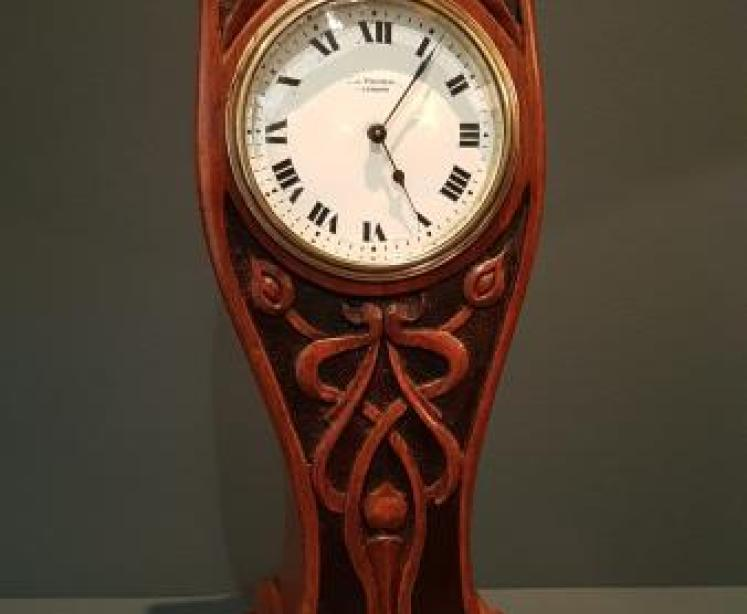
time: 5:06
